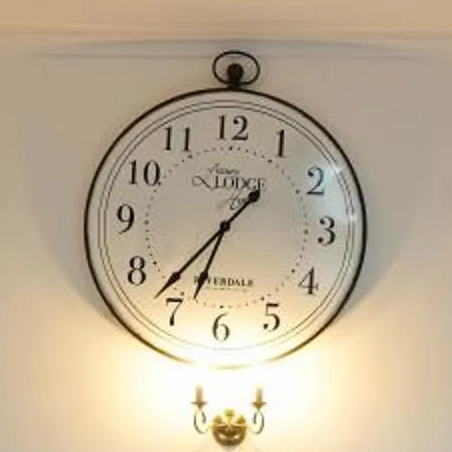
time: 6:37
